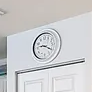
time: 9:20
